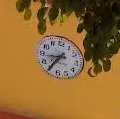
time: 8:35
